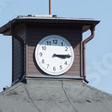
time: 3:14
